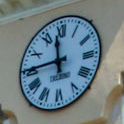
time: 11:45
